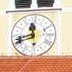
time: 11:41
